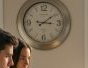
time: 3:09
